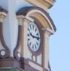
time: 9:14
